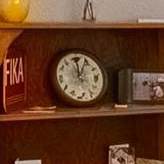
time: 12:04
